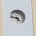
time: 4:46
